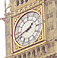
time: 1:41
